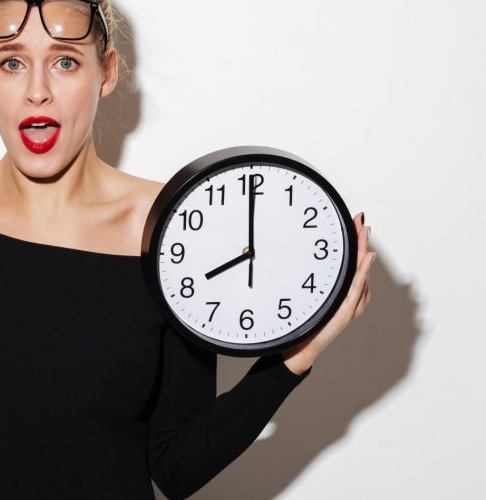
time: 7:59
